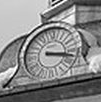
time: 3:17
